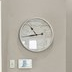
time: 10:43
